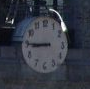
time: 8:45
